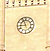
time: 8:56
